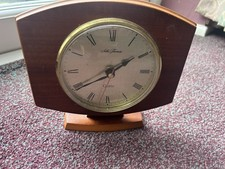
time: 1:39
